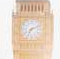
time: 7:11
